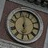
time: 5:57
